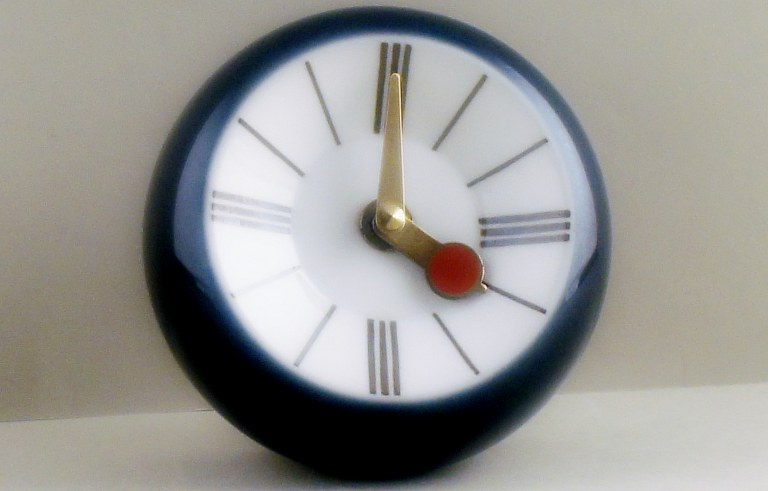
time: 4:00
